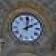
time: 2:01
